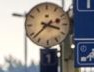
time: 3:37
